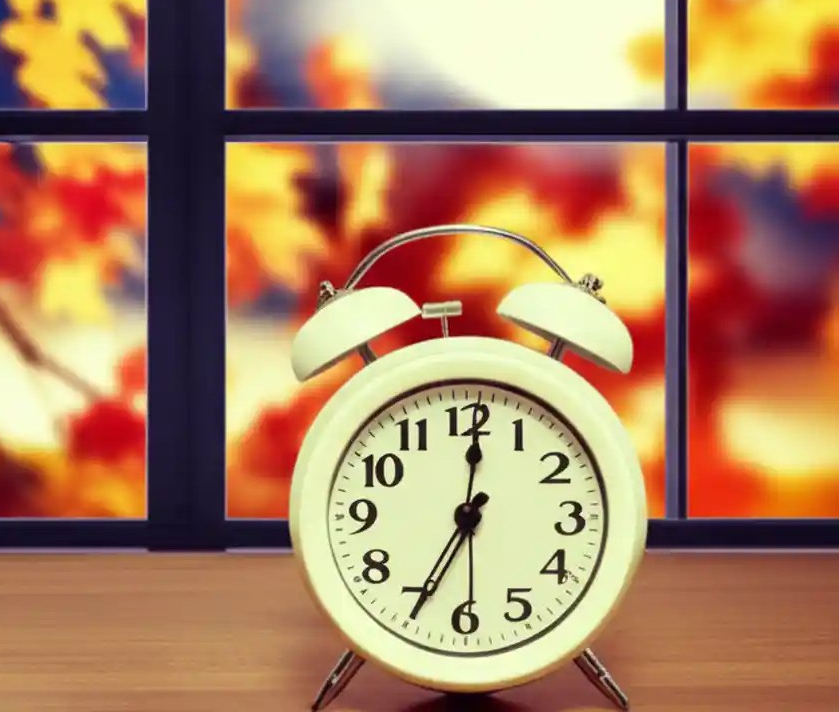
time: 7:01
